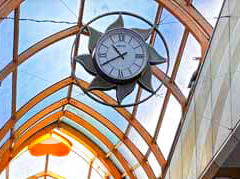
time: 10:40
